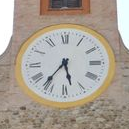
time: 5:36
